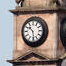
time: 10:28
